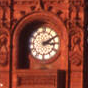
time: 3:10
